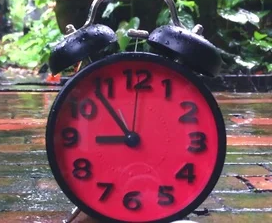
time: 8:53
